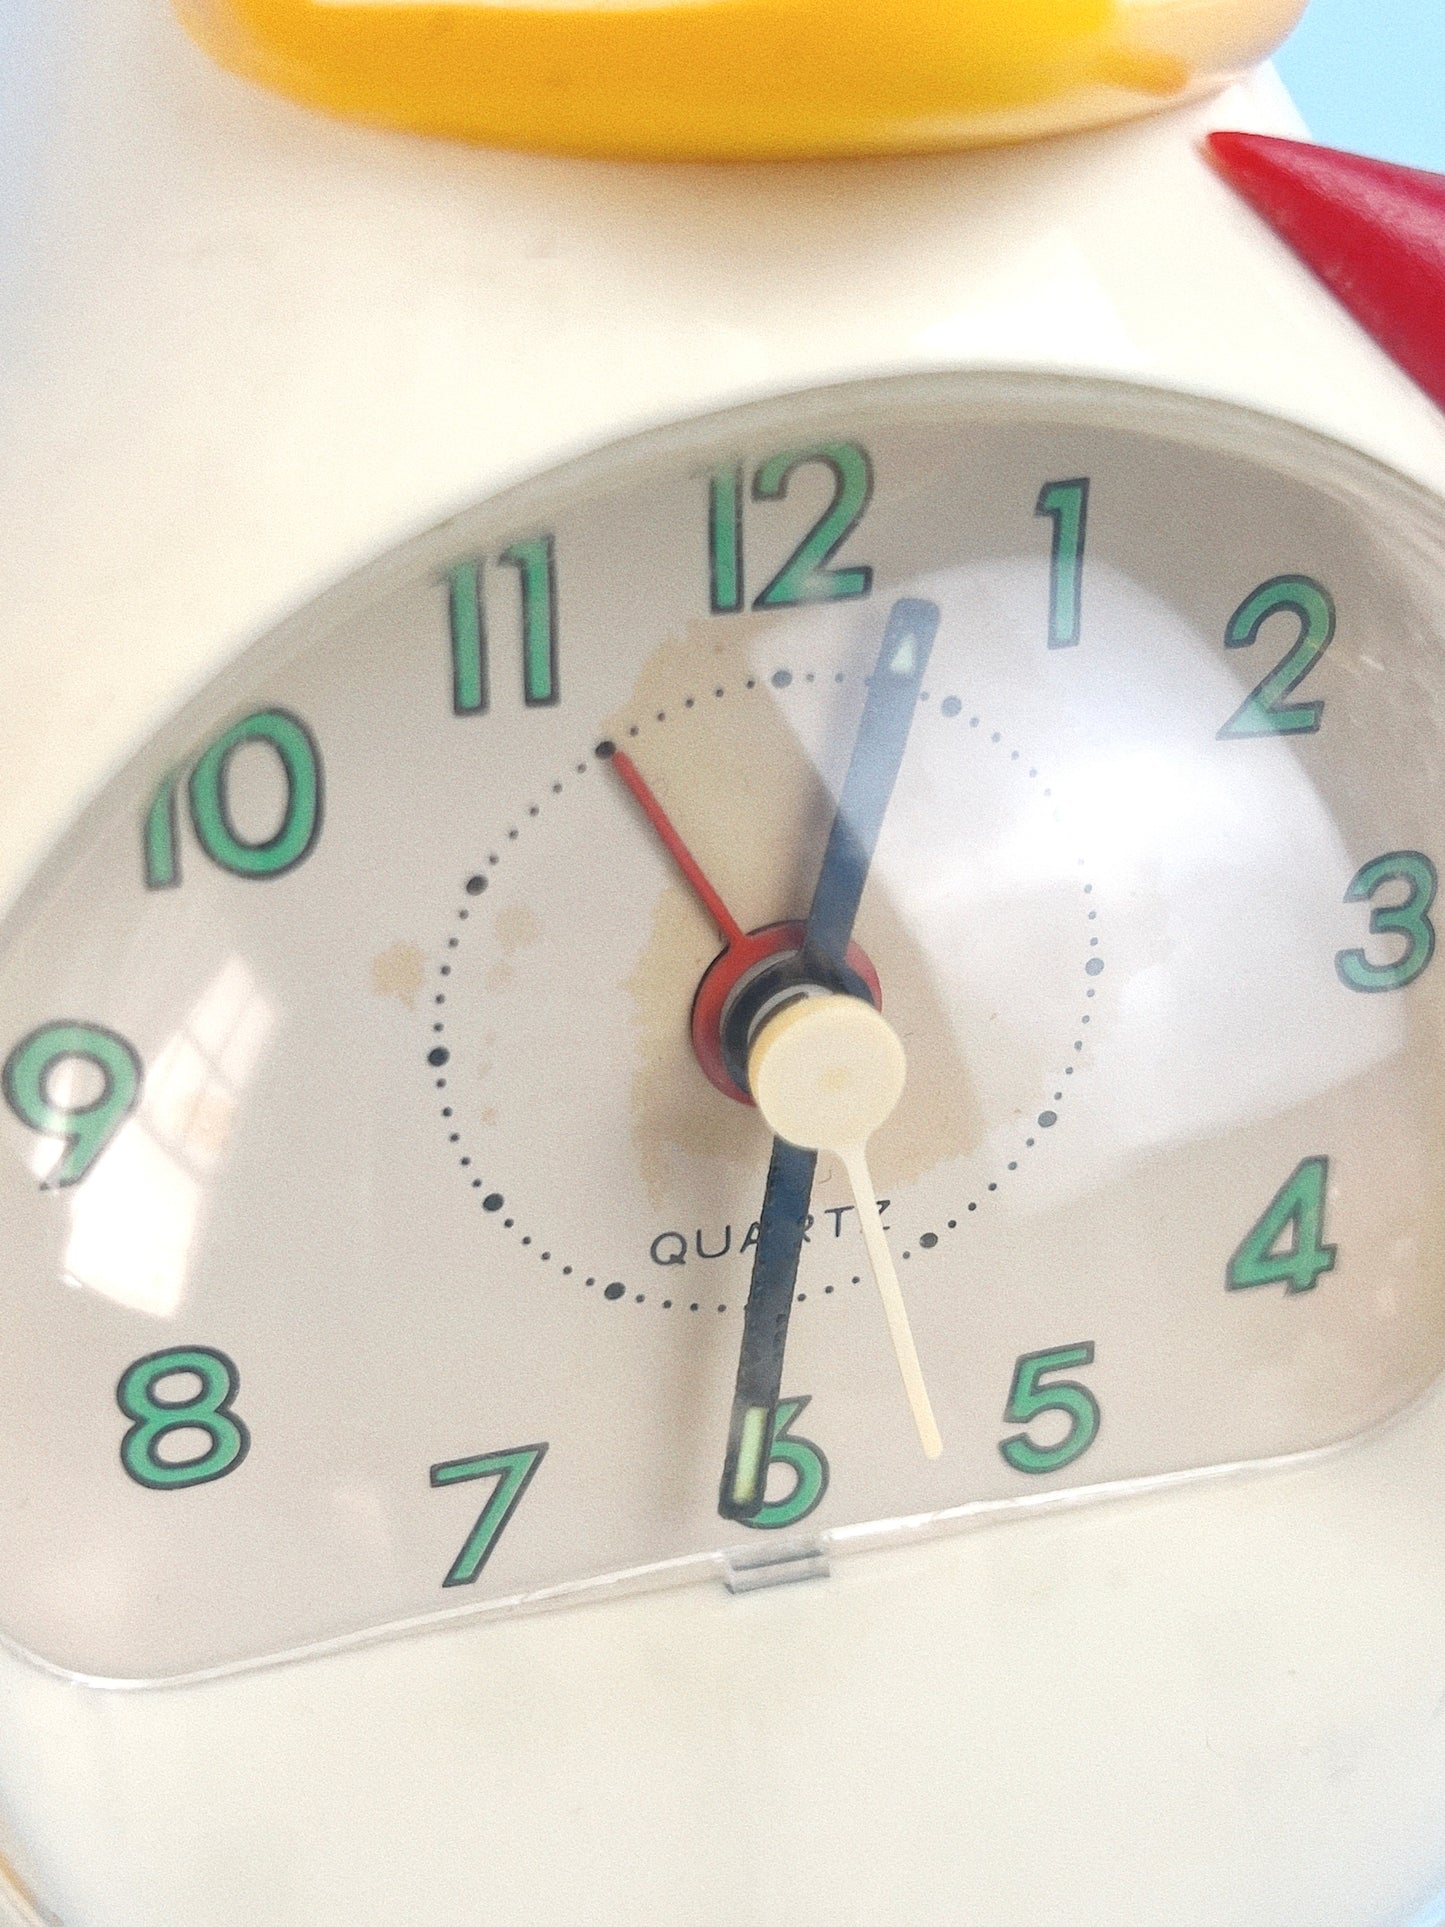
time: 12:30
